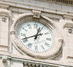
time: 12:41
